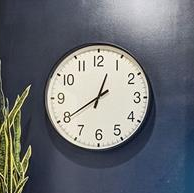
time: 12:39
